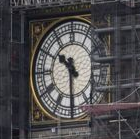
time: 10:30
